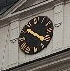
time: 10:21
